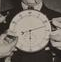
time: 8:12
